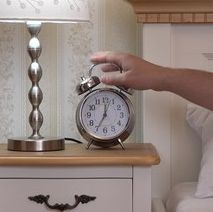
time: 7:01
